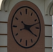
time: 4:12
